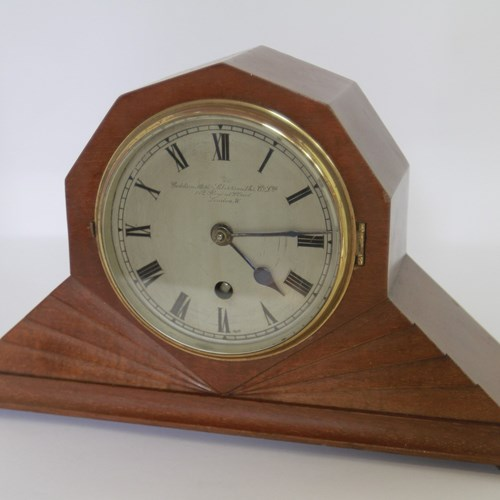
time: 4:14
